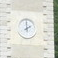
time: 1:59
